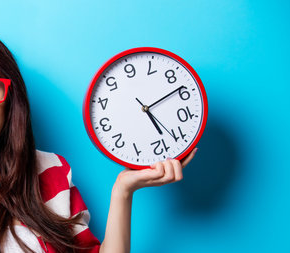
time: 5:13
